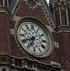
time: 6:40
